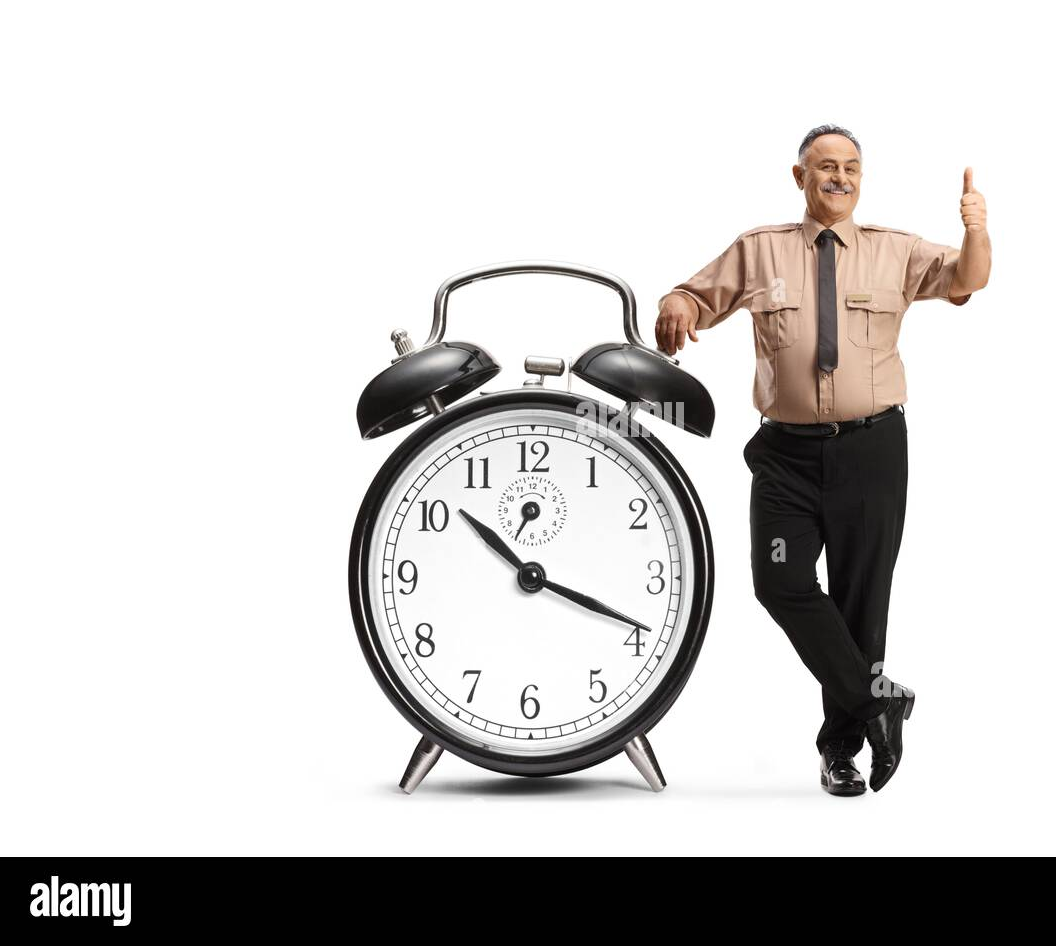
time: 10:18
